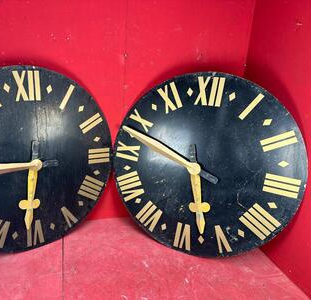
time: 5:48
